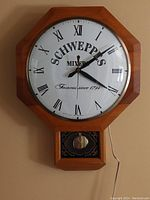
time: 4:09
